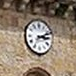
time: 3:11
